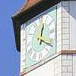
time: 12:20
